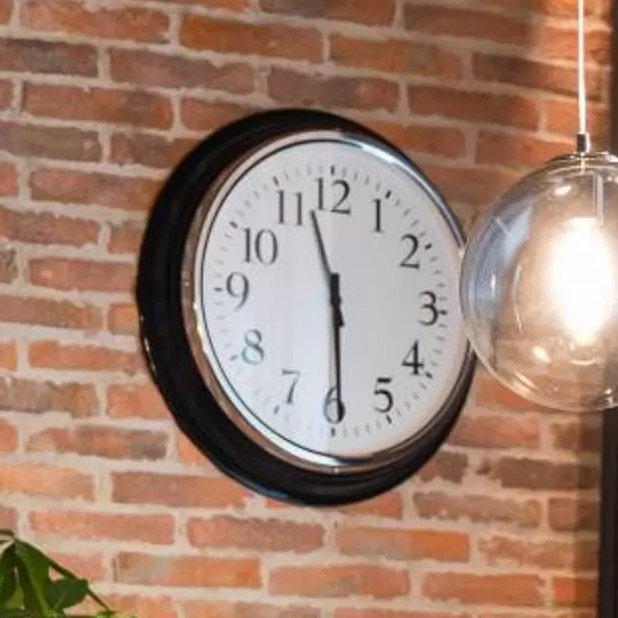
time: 11:29
